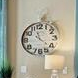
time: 11:21
